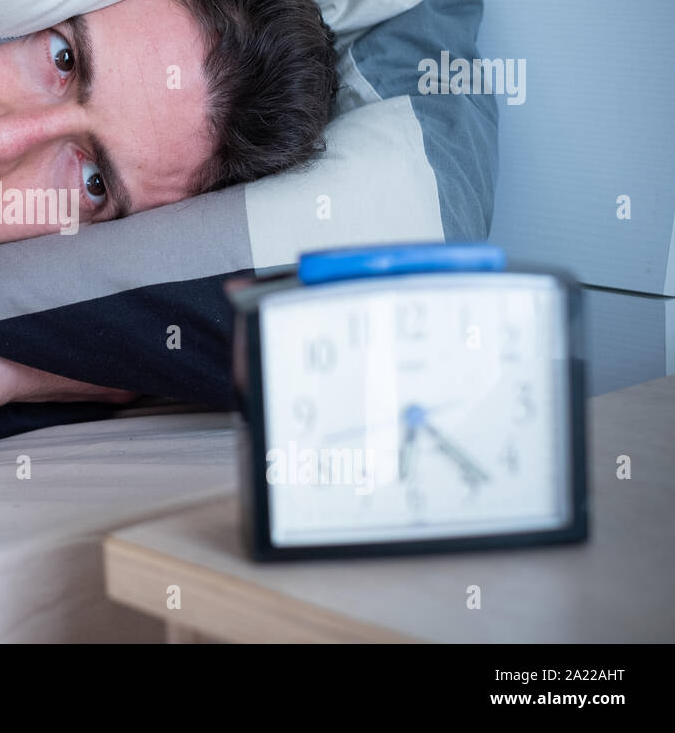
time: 6:23
